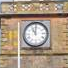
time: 11:00
